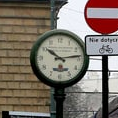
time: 10:13
